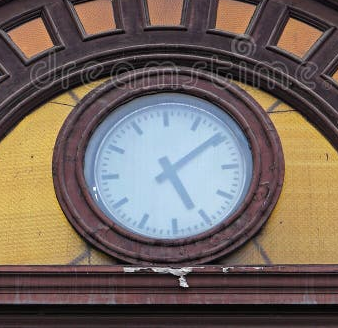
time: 5:09
